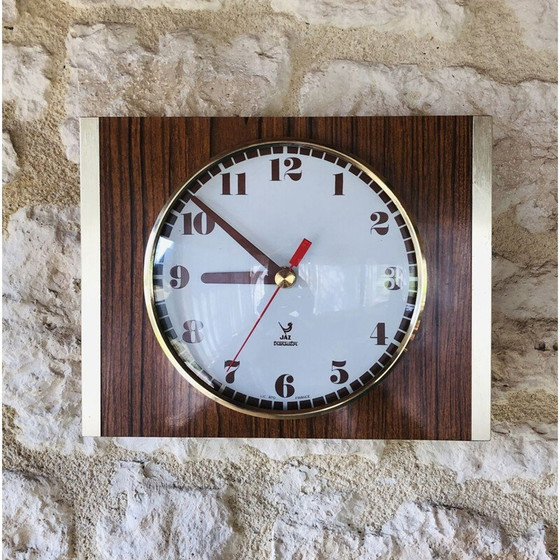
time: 8:51
